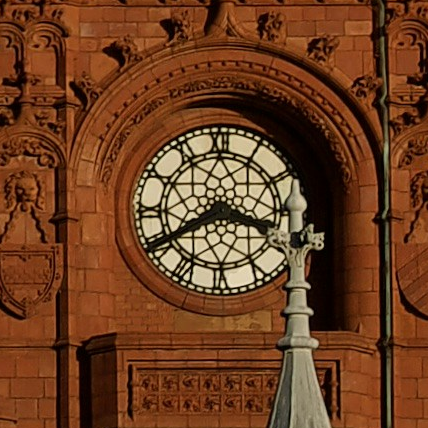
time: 3:40
